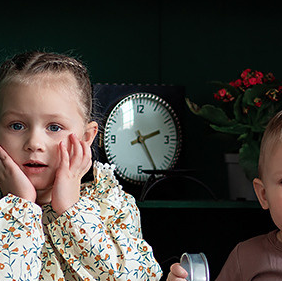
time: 2:24
